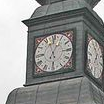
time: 12:57
